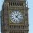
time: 1:22
